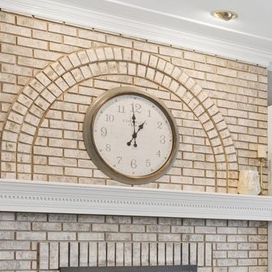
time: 12:59
